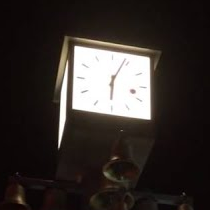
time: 6:03
